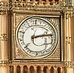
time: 2:12
